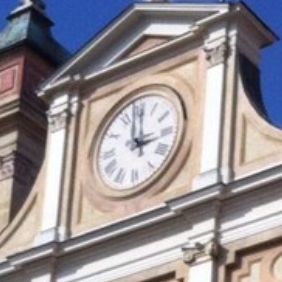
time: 2:59
